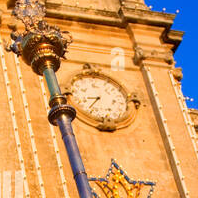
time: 8:36
